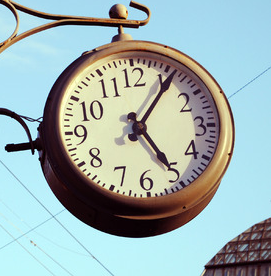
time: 5:06
